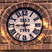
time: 8:58
